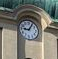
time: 9:05
